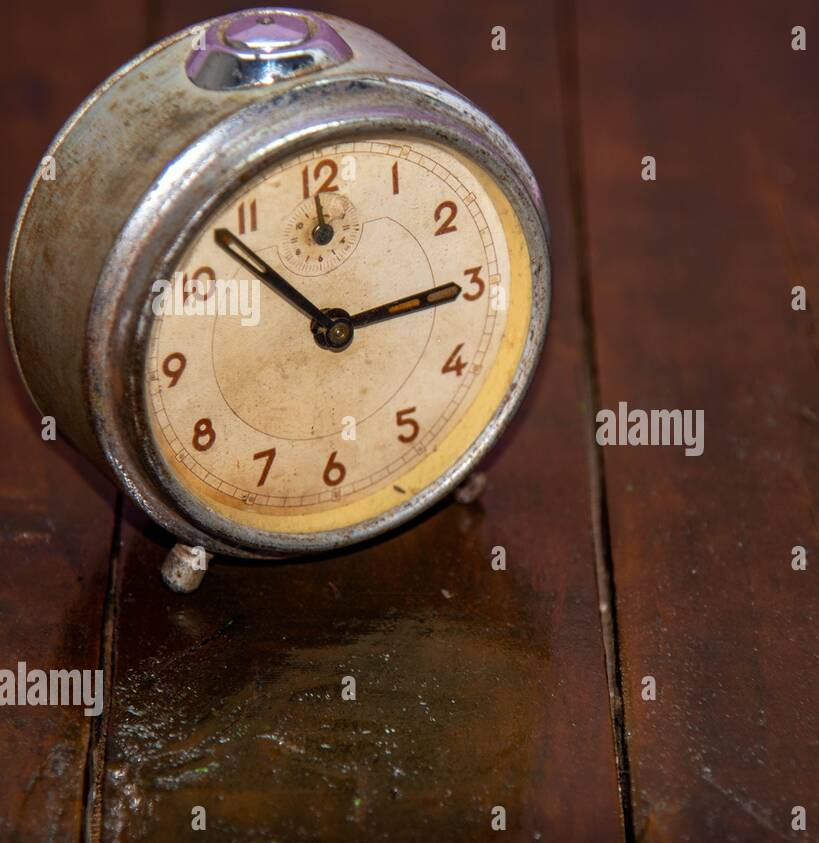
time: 2:53
